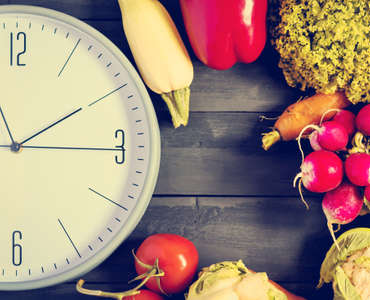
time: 11:10
